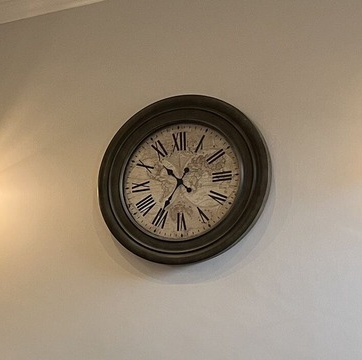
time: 10:35
